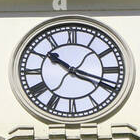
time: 10:18
